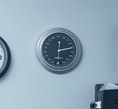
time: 12:13
